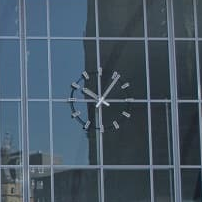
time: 10:06
